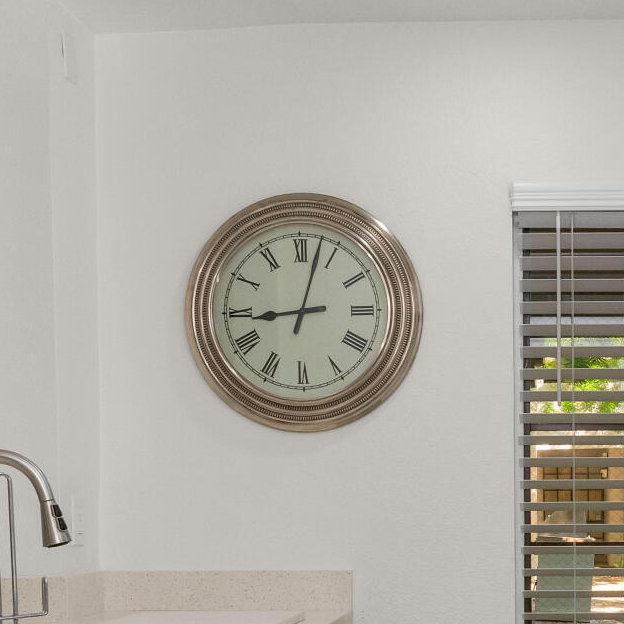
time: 9:02
